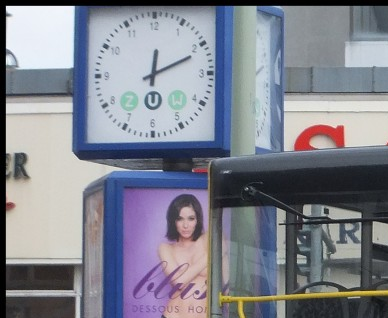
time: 12:11
